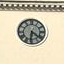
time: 6:21
